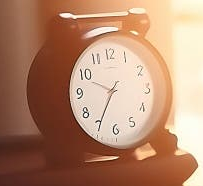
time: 9:34
